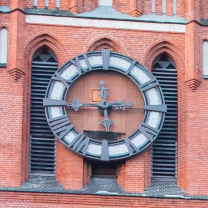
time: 11:45
